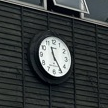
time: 11:24
